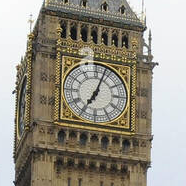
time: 7:03
